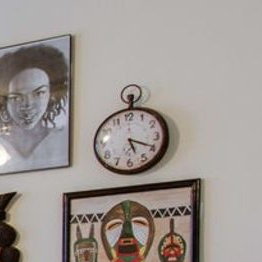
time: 5:19
